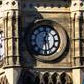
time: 12:28
